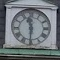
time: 11:30
